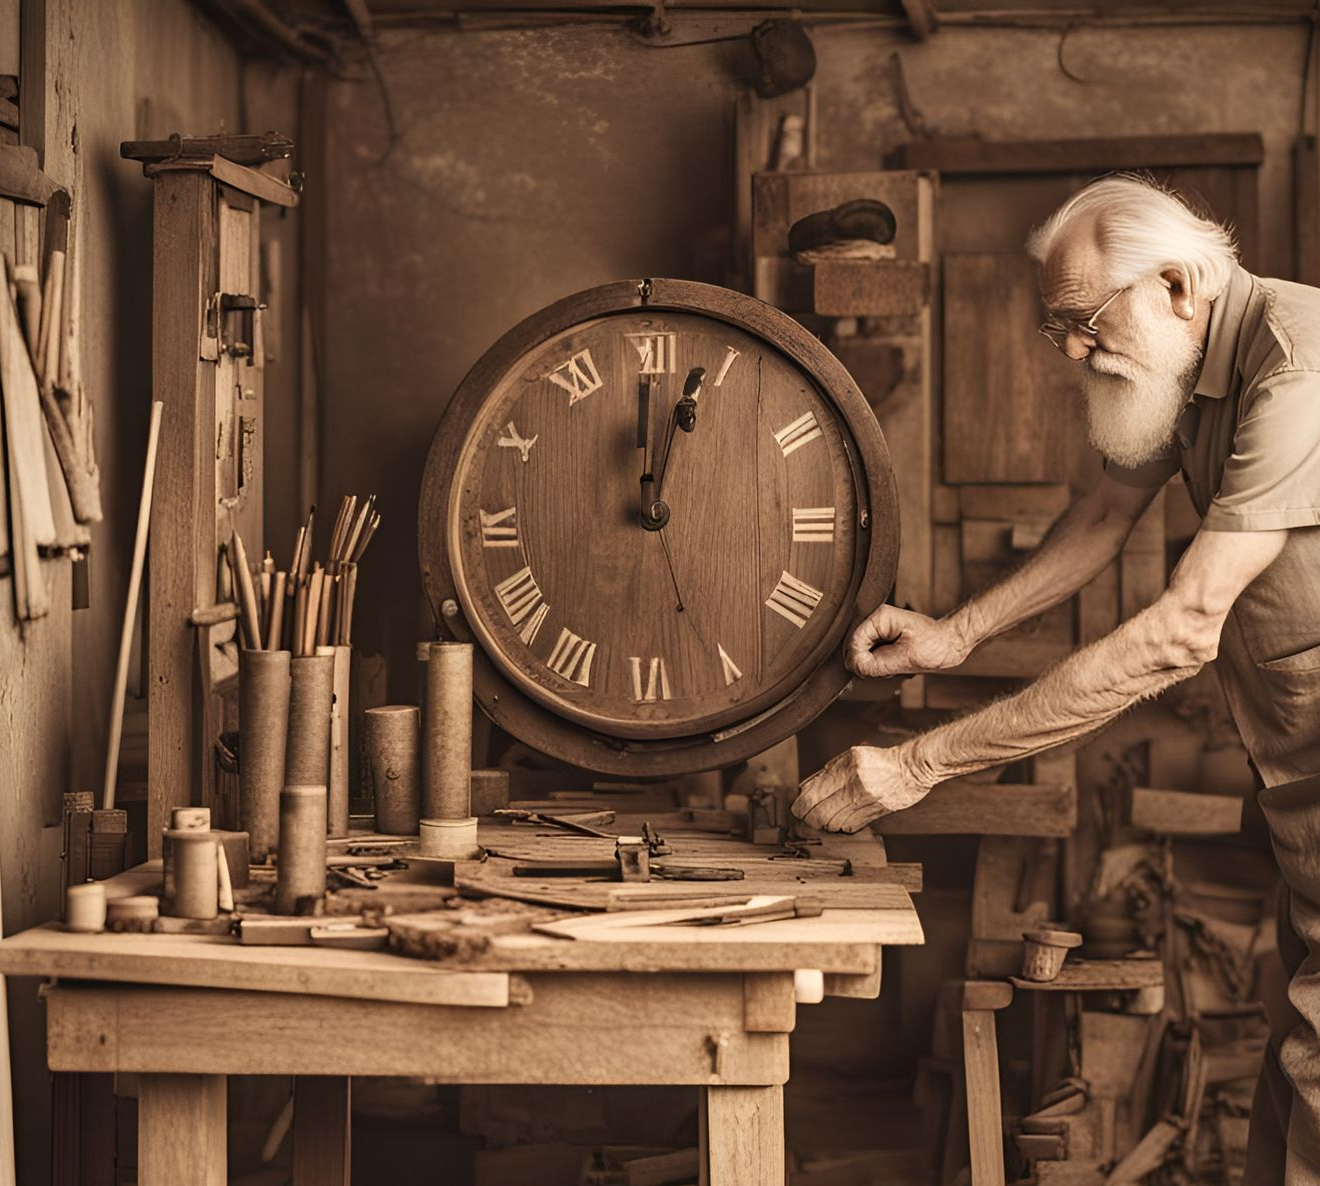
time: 12:03
